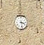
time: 3:28
